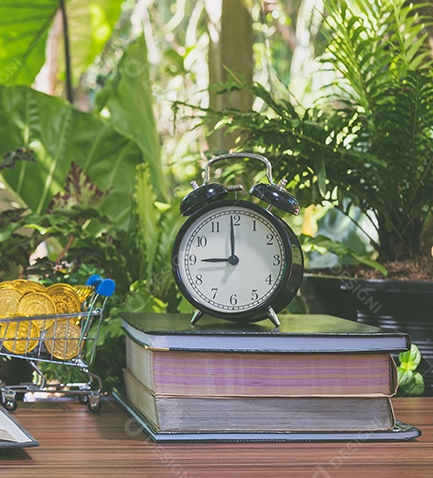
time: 8:59
